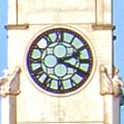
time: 2:18
